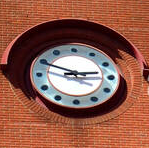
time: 2:49
